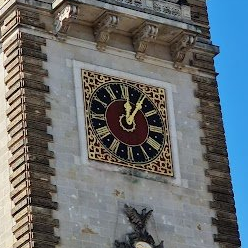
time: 12:05
